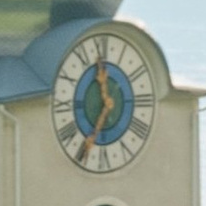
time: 11:35
